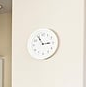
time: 2:55
